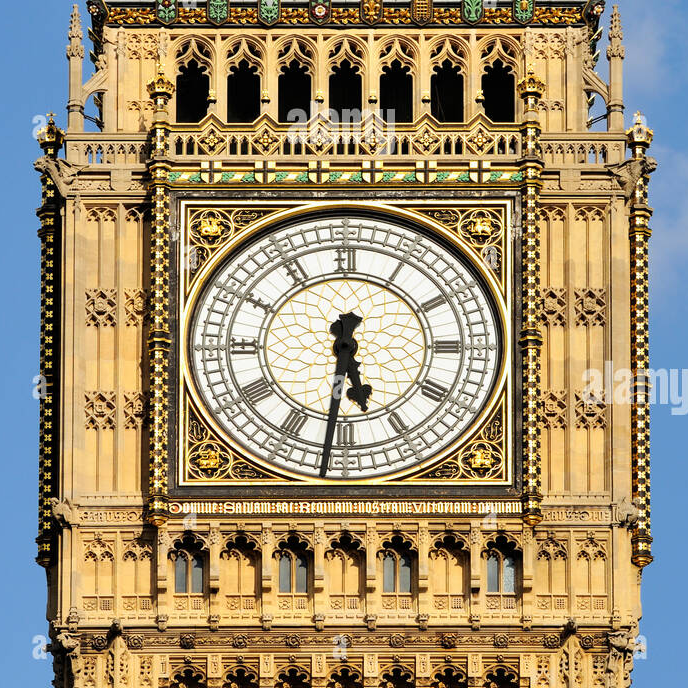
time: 5:31
